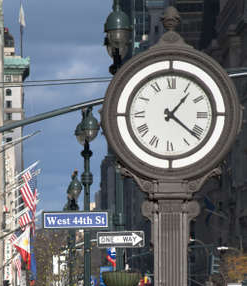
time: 1:21
